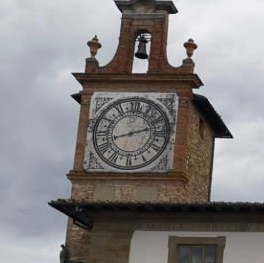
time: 2:42
